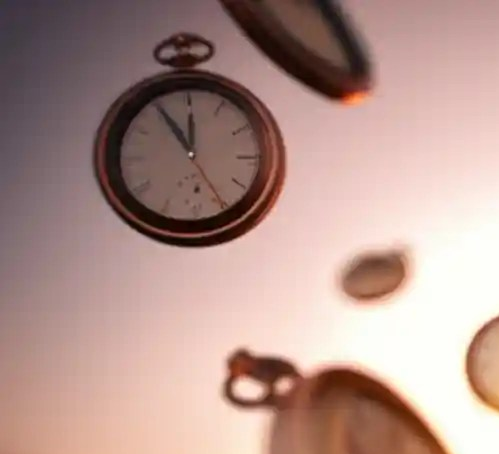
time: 11:54
